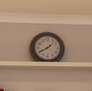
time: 1:40
